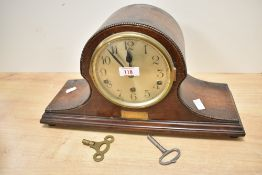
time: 11:53
